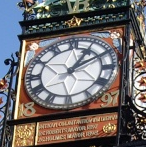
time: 1:09
